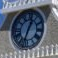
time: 12:32
